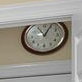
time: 11:04
